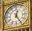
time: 12:24
